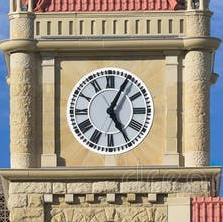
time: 5:04
